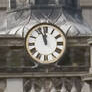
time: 11:56
